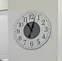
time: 11:02
